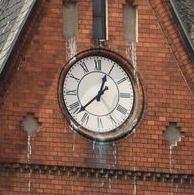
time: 12:38
